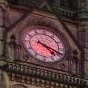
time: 4:18
